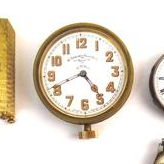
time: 4:41
